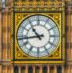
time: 10:43
